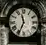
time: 11:34
